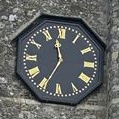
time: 11:35
